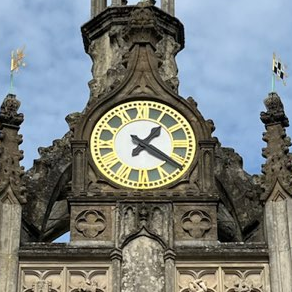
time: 1:20
